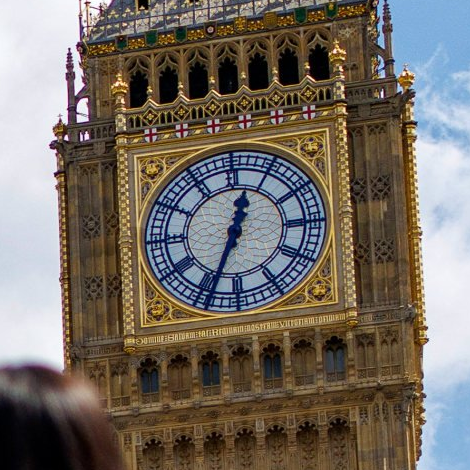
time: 12:33
